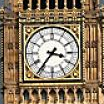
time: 3:36
